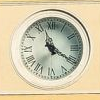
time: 11:20
